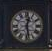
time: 12:28
